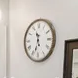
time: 11:33
